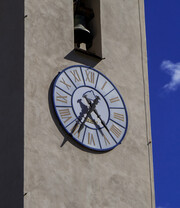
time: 4:35
